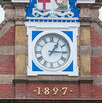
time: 1:15
